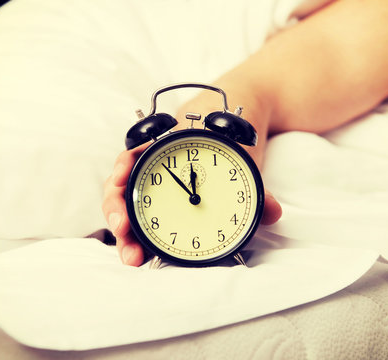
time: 11:53
